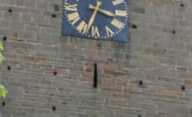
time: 3:33
